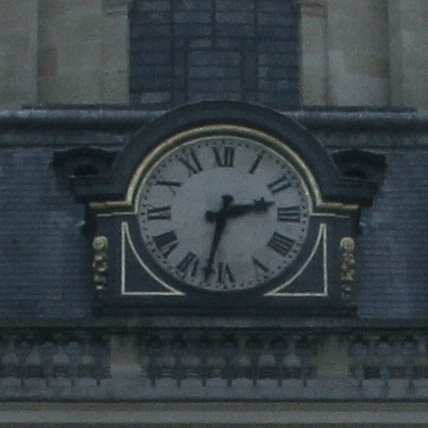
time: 2:32
